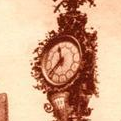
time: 11:37
